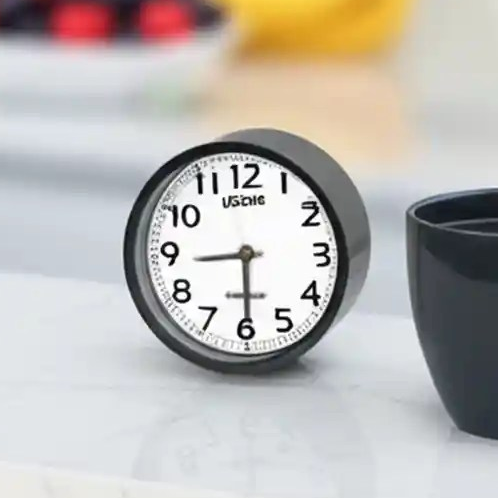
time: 8:29
